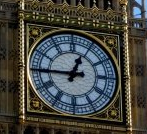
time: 12:45
